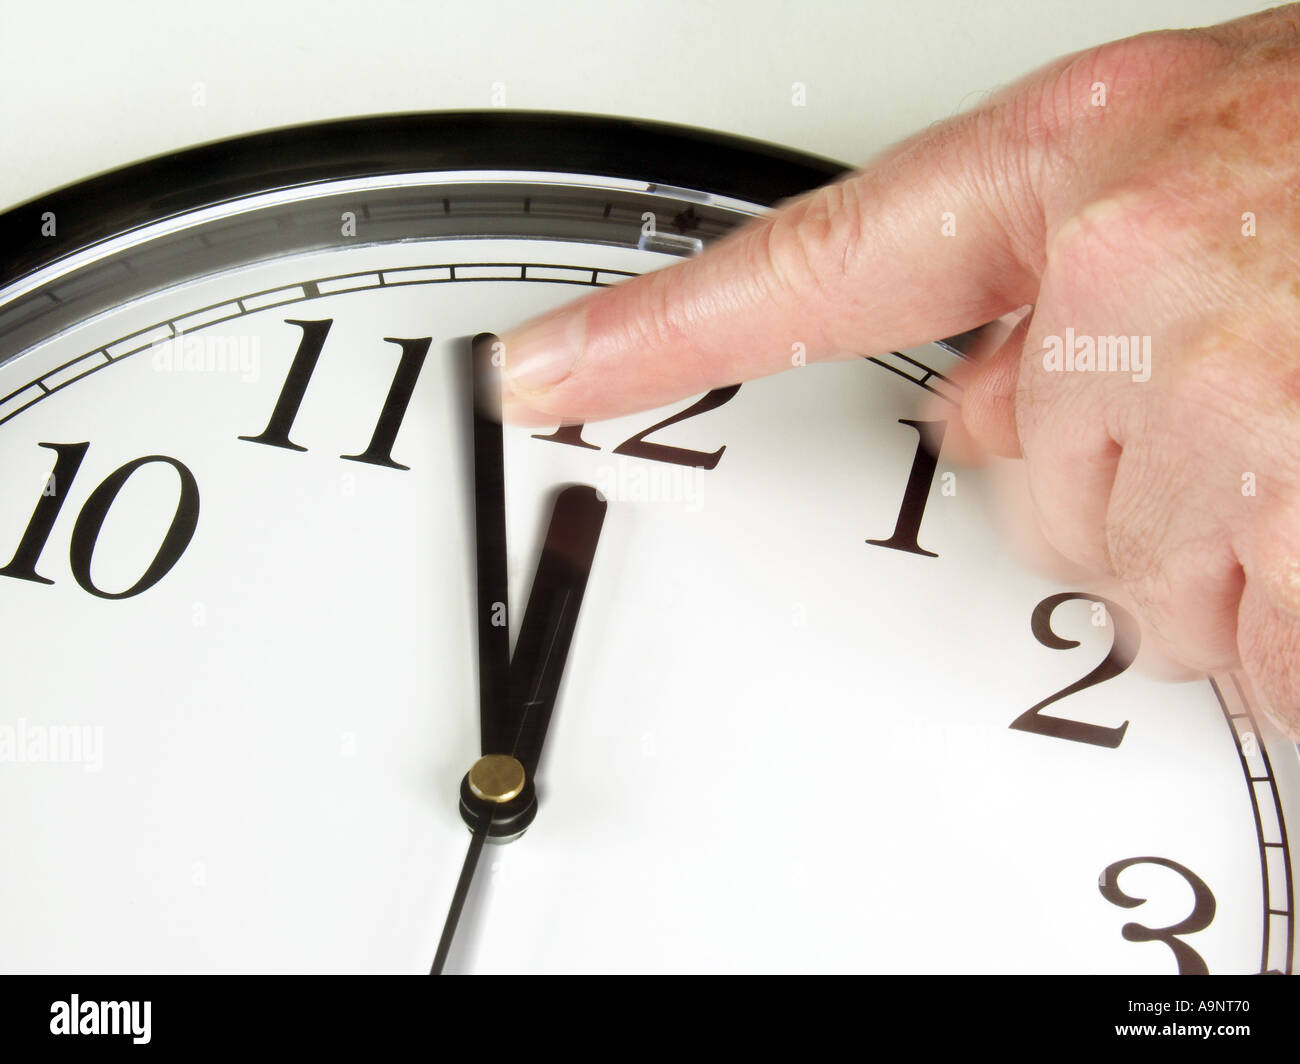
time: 11:57
